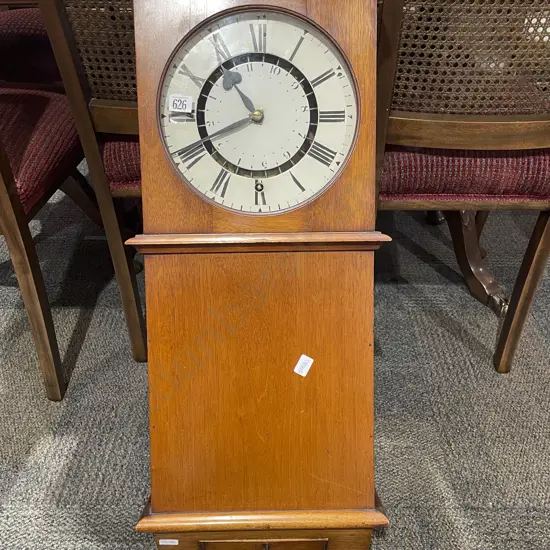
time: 10:41
